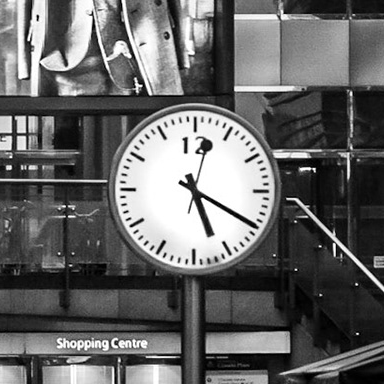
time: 5:19
